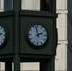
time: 1:58
